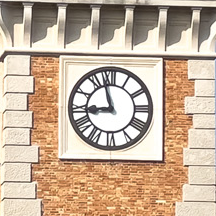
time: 8:57
